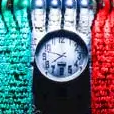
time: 7:47
